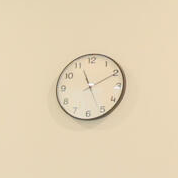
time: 11:10
